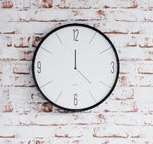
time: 12:22
